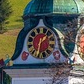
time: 1:32
